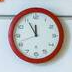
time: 11:55
